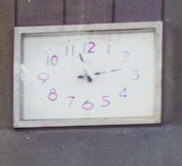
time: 11:12
